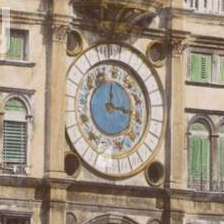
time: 12:16
